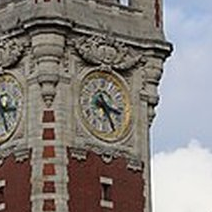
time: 3:24
